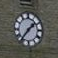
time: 1:36
